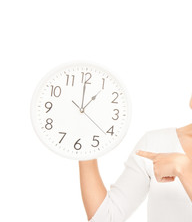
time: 12:59
